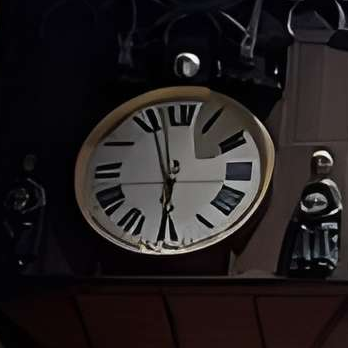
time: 5:56
